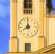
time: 7:59
